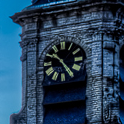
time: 10:24
